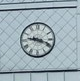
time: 9:18
